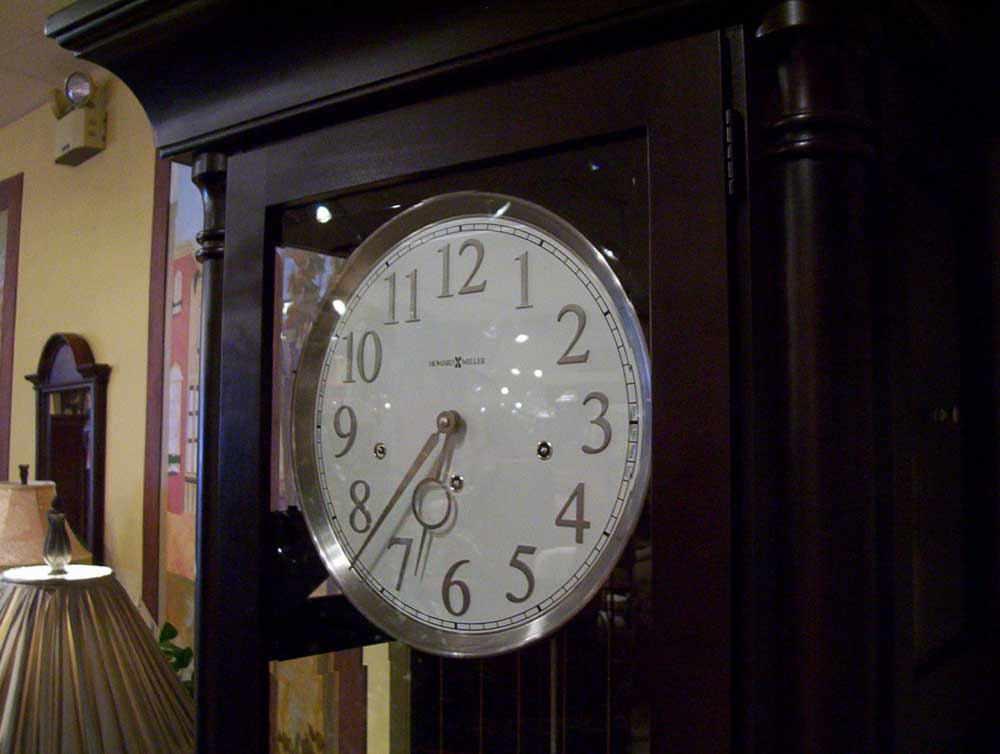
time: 6:37
